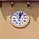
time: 12:03
